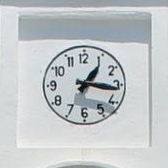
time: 1:16
